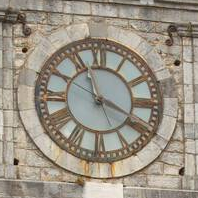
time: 3:56
